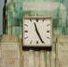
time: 11:25
